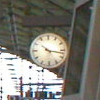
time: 10:17
